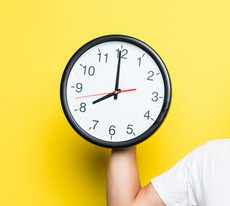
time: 7:59
